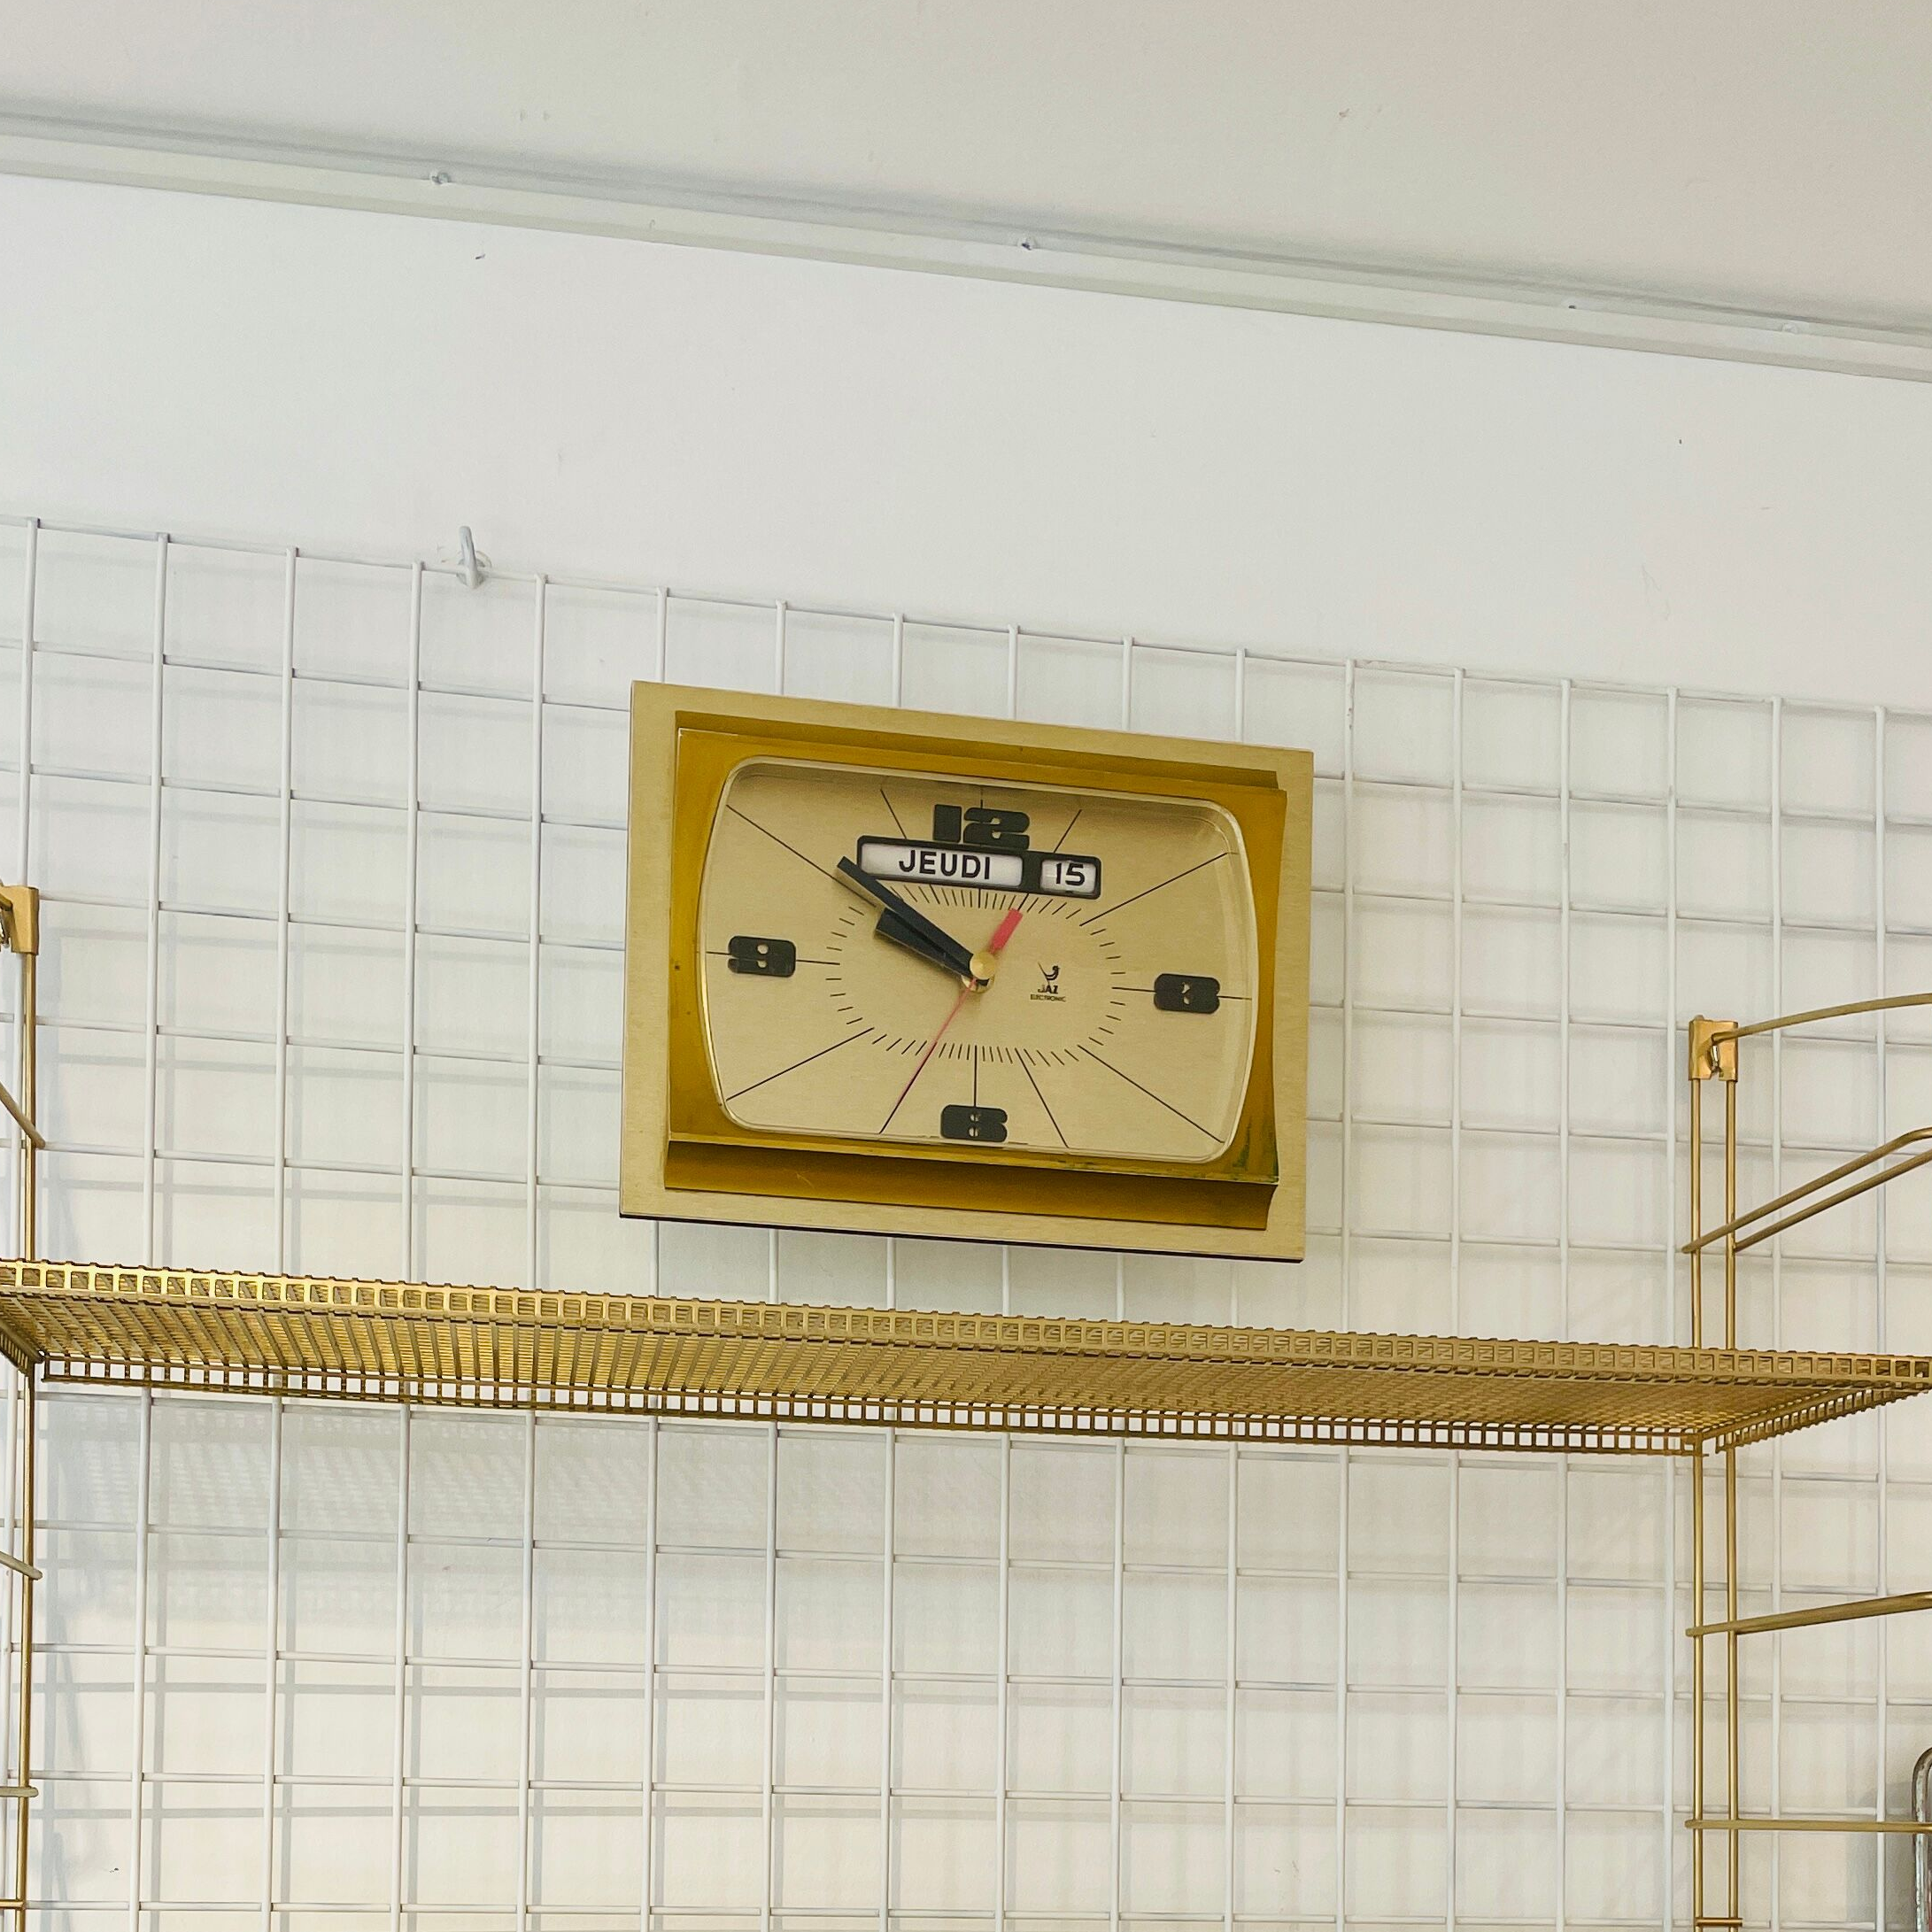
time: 9:52
